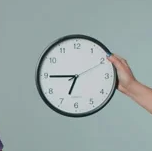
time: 6:44
